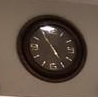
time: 4:54
